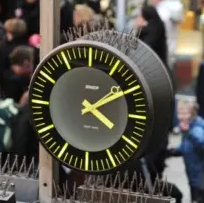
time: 4:09
